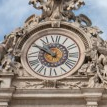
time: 9:50
